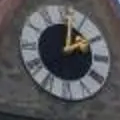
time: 2:02
